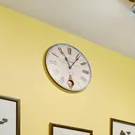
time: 11:06
